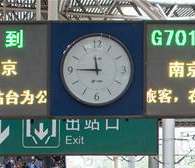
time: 11:45
